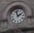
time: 1:57
